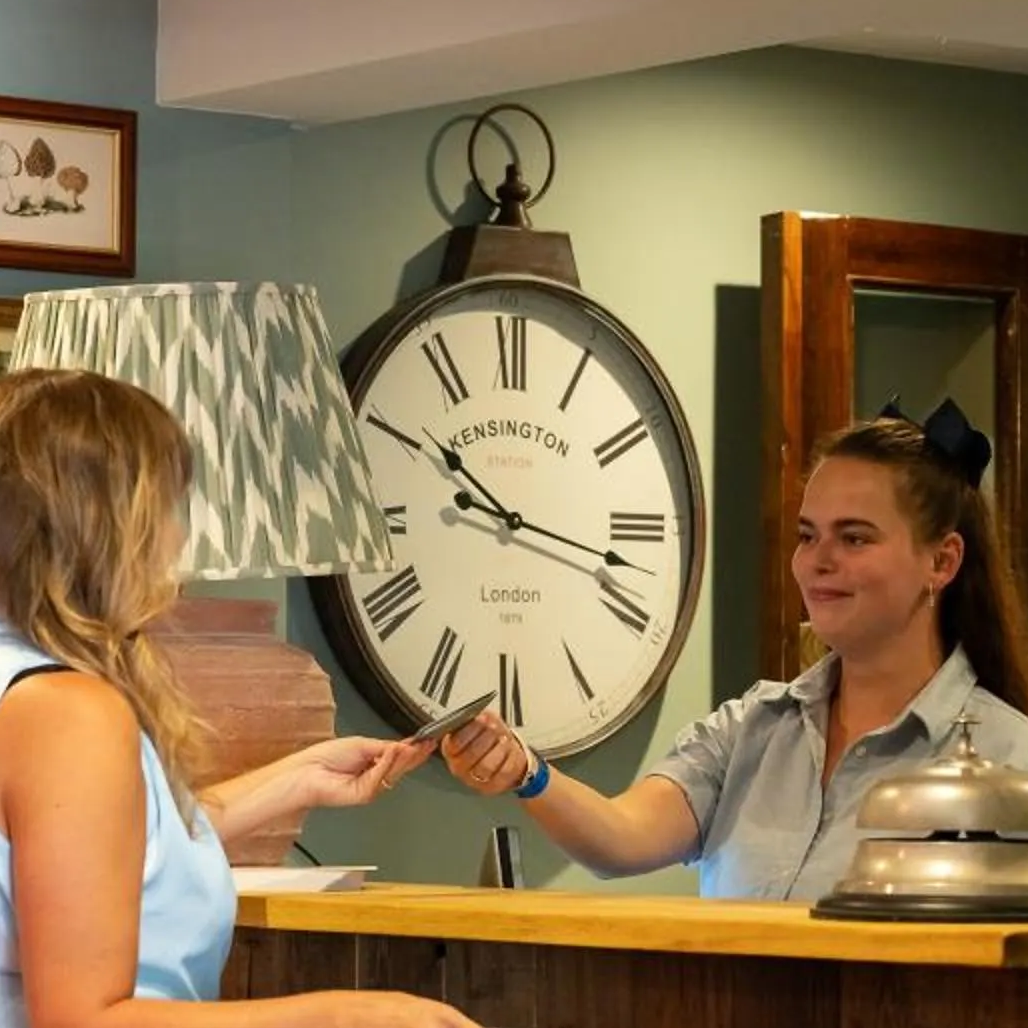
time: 10:17
